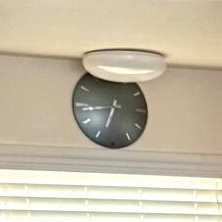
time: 6:43
